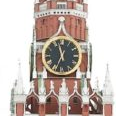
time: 11:33
